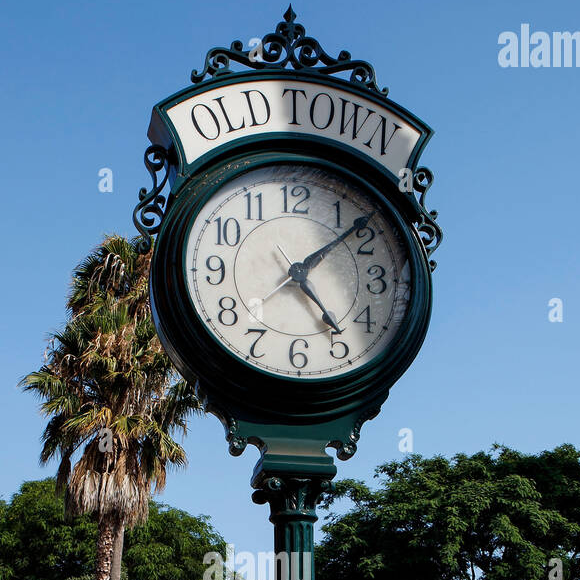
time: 5:08
